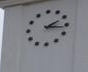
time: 2:16
